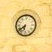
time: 6:38
